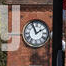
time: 1:56
